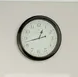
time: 12:42
